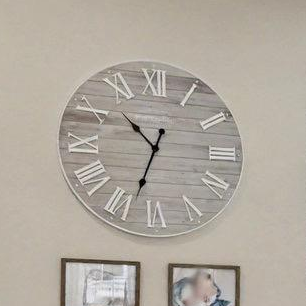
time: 10:33
